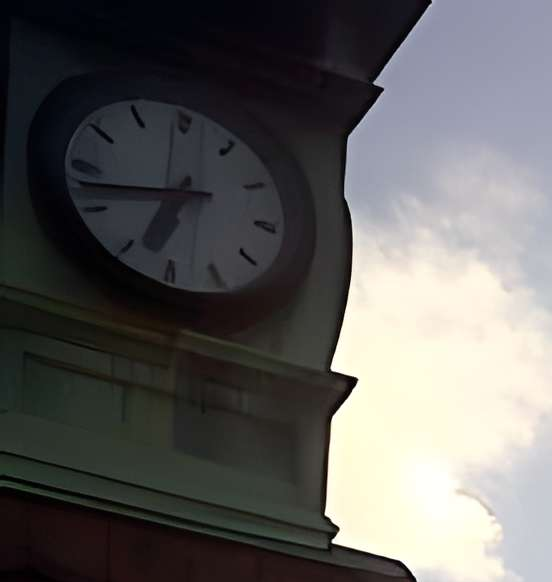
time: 6:42
